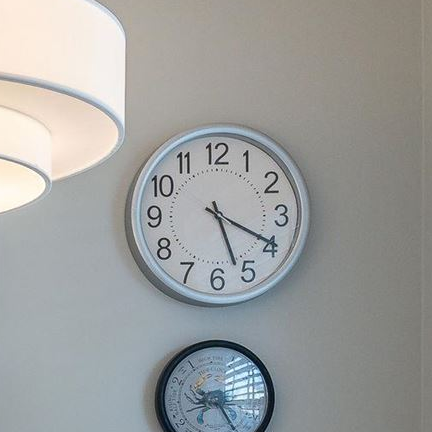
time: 5:19
